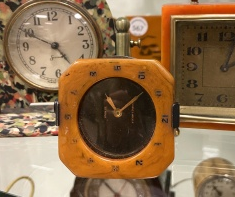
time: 11:08
